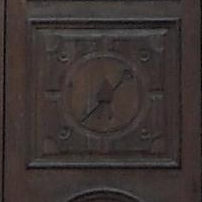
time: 1:37
